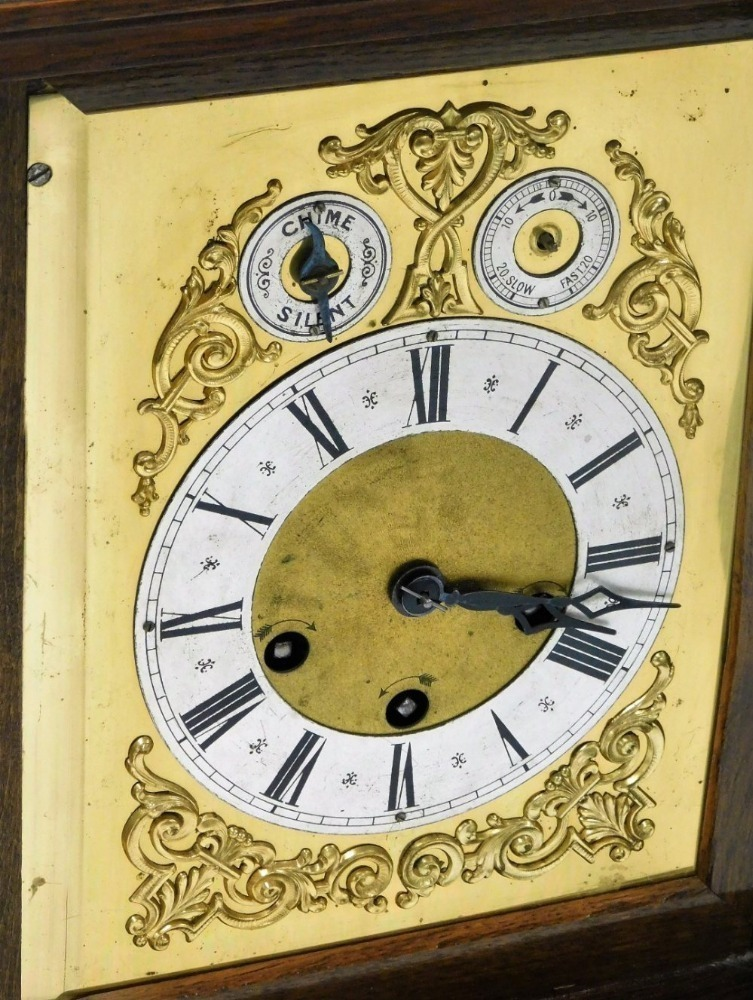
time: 3:18
